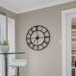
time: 7:15
